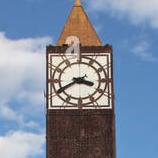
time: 3:40
